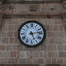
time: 5:13
